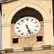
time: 5:26
